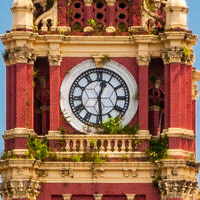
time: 12:28
